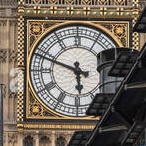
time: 5:48
